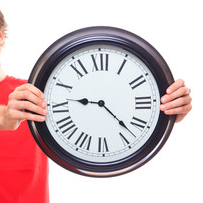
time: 9:22
